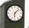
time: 6:07
